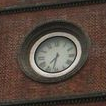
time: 7:32
